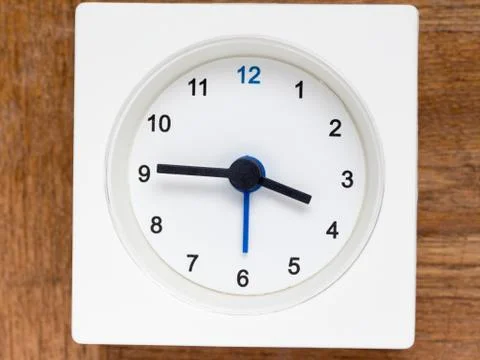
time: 3:45
